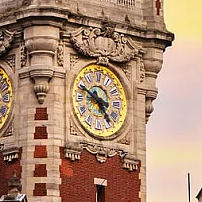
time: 4:49
